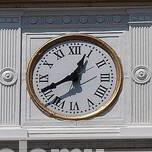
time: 12:40
